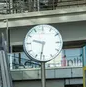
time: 9:31
